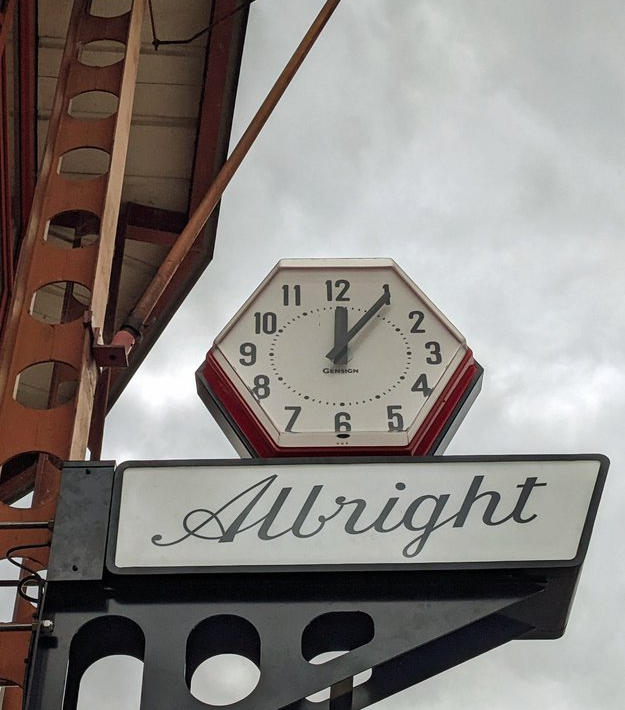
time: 12:06
